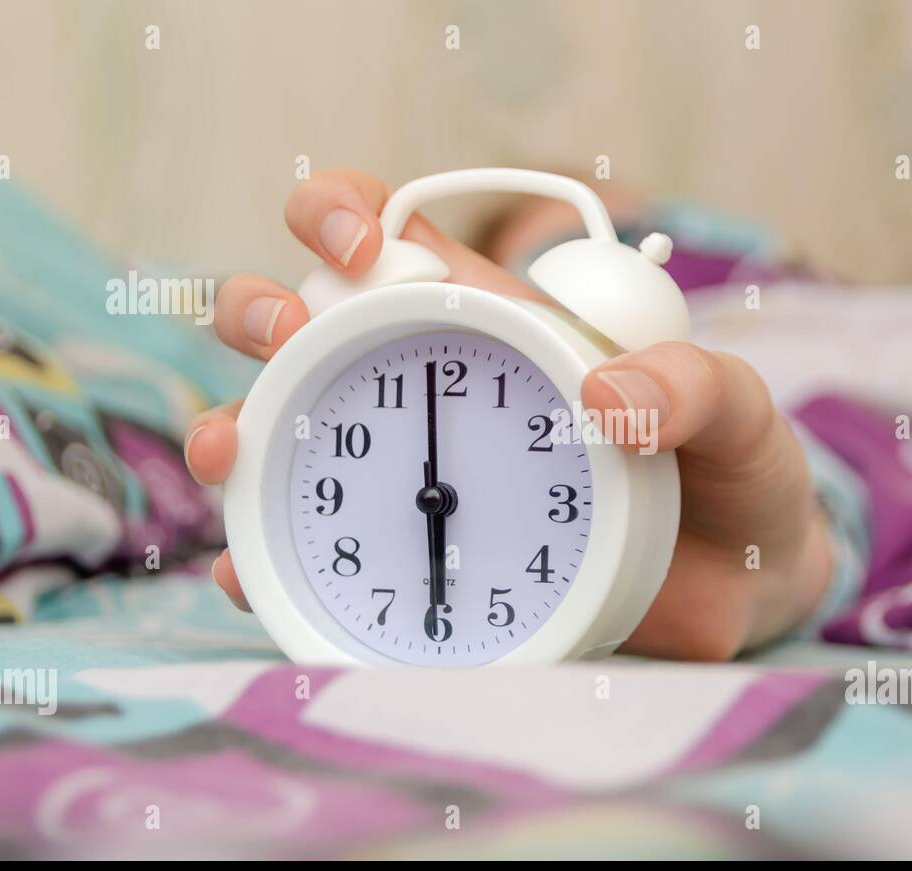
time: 5:59
